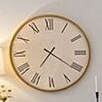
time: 7:20
